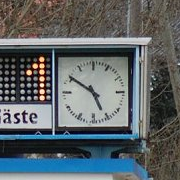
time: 4:50
